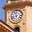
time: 11:42
